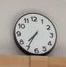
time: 7:35
